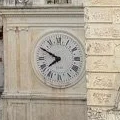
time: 7:49
